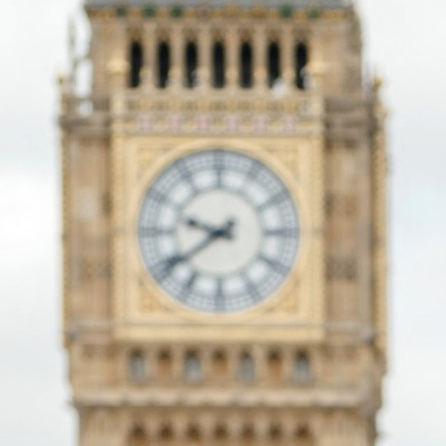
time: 9:39
